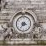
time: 3:35
